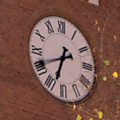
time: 6:40
